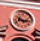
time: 10:14
